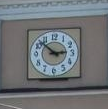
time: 2:52
